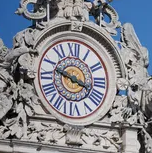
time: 3:48
